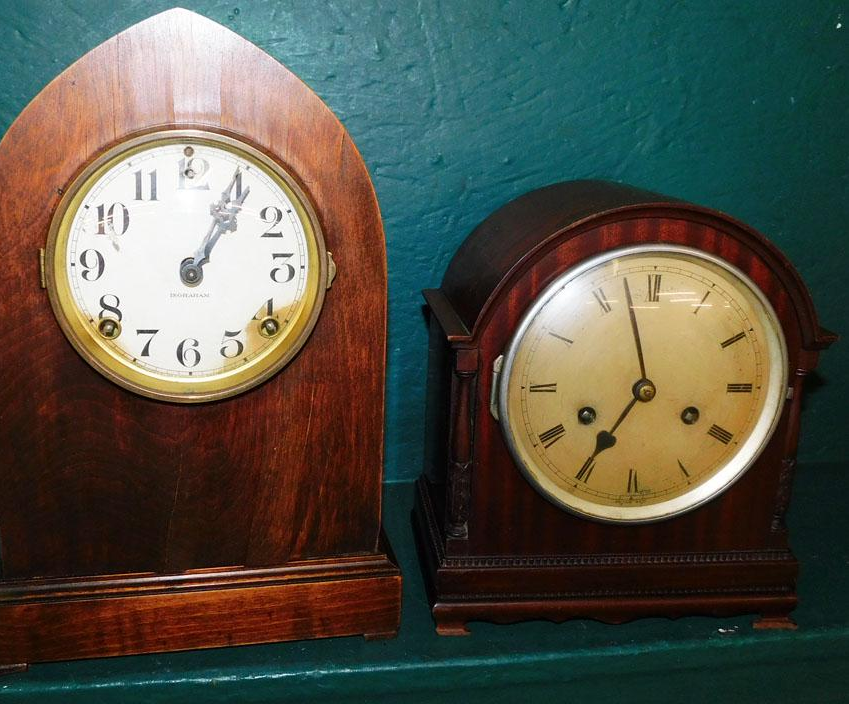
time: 6:57
